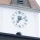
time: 7:12
